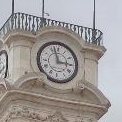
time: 2:57
